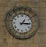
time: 1:15
